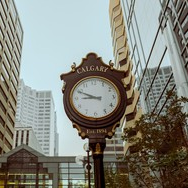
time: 8:49
